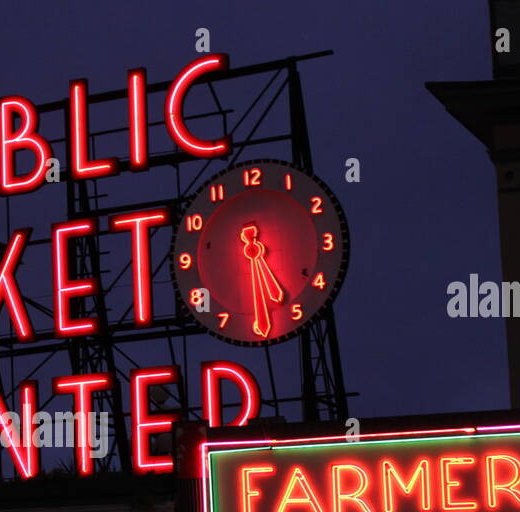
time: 5:24
